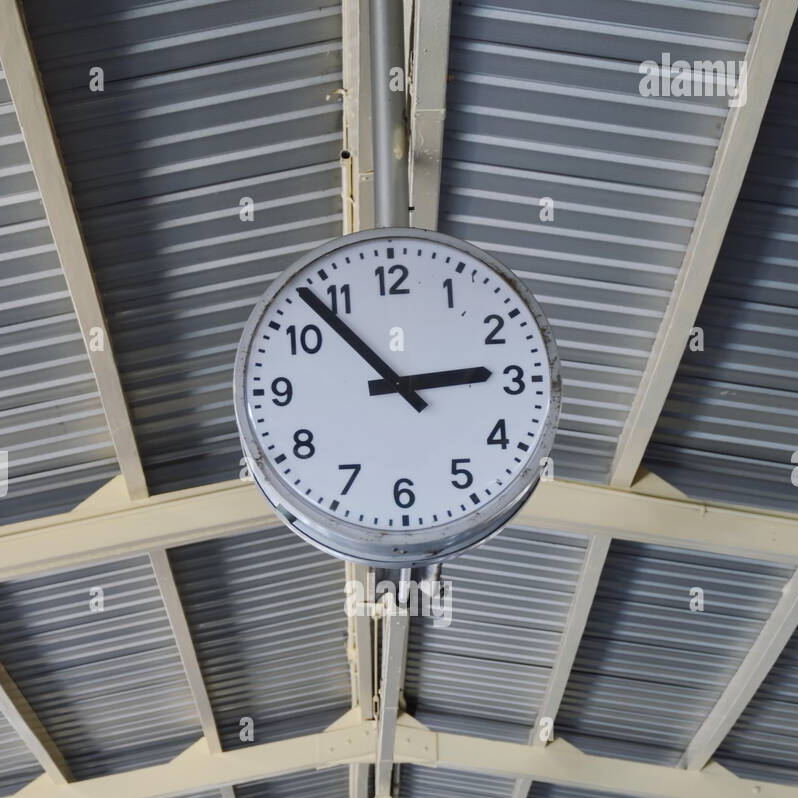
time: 2:53
